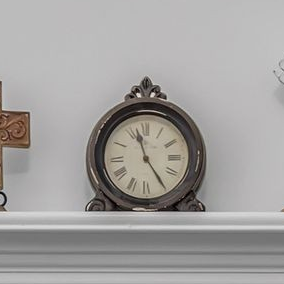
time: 11:24
